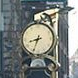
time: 8:33
